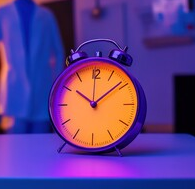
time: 10:08
